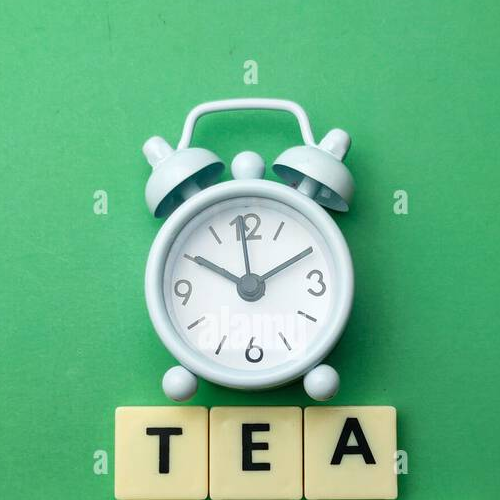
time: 10:10
